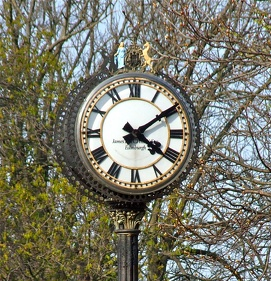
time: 4:09
